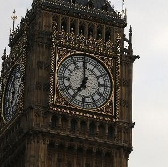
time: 6:59
